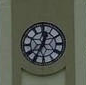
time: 12:34
